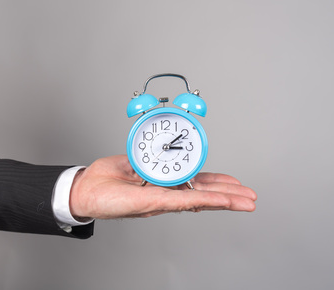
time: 3:09
